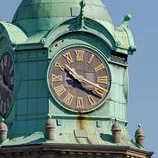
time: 10:18
